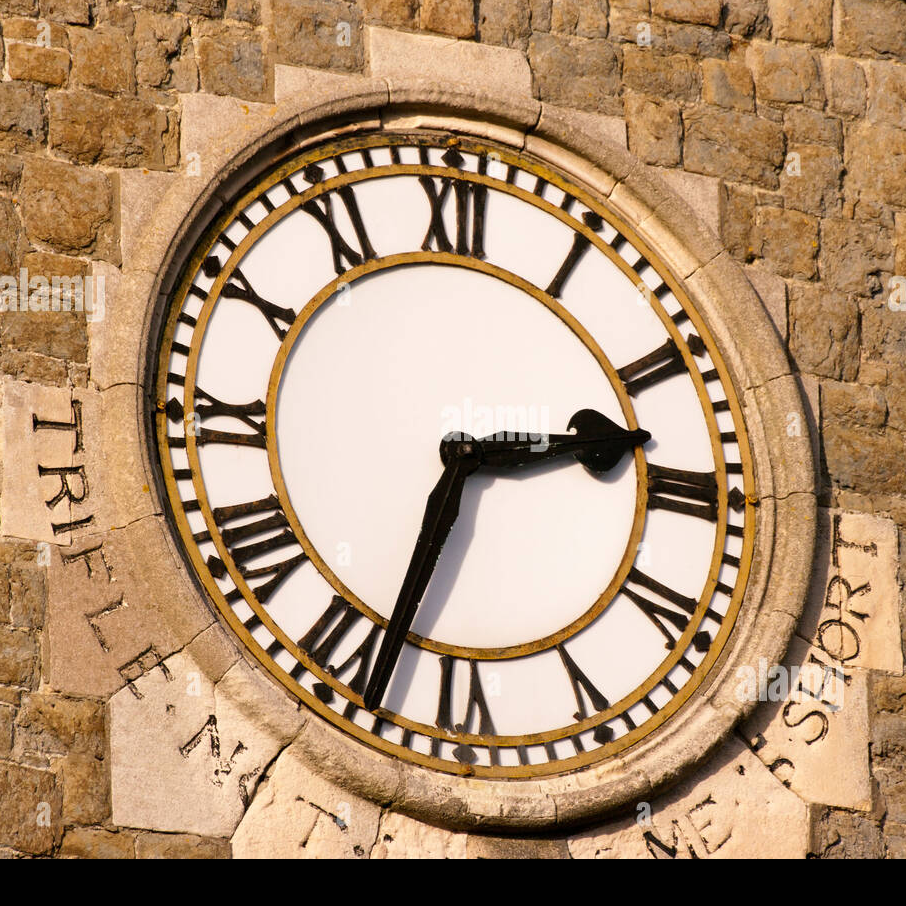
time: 2:33
